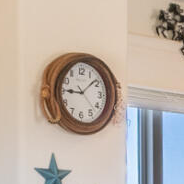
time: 9:08
